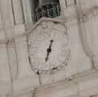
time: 6:32
